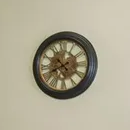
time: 10:41
